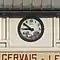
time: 8:51
